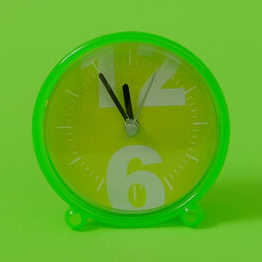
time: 11:55
